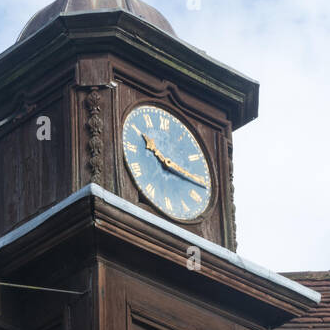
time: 10:16
